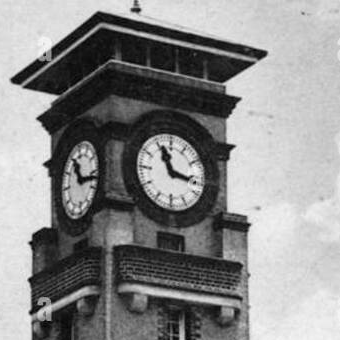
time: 11:16
